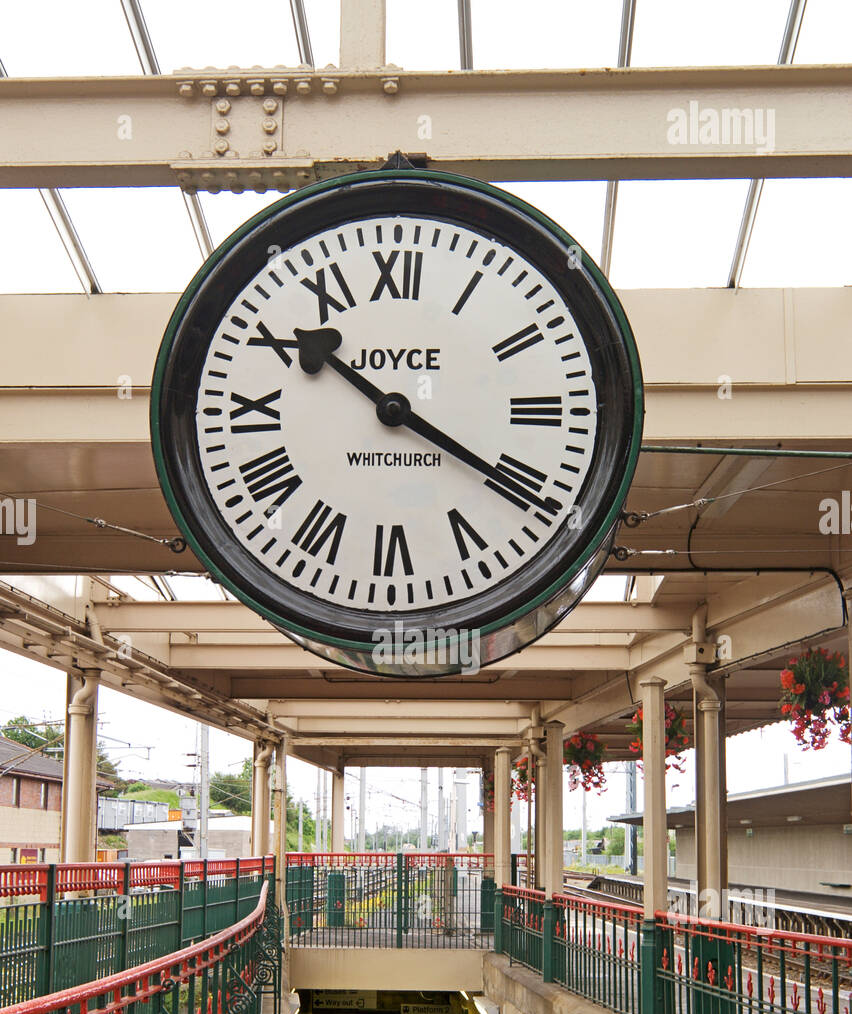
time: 10:20
